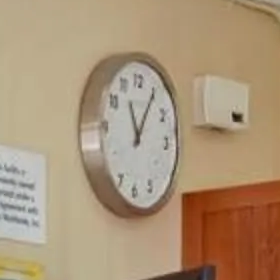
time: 11:04
